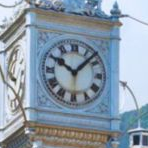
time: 10:07
